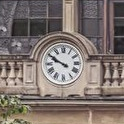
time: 9:50
